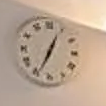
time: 12:34
